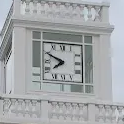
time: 7:49
